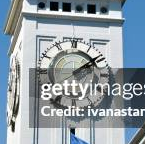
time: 2:09
